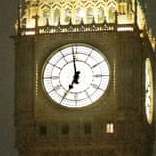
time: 6:58
